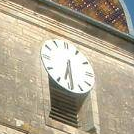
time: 6:28
